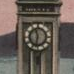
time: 11:32
